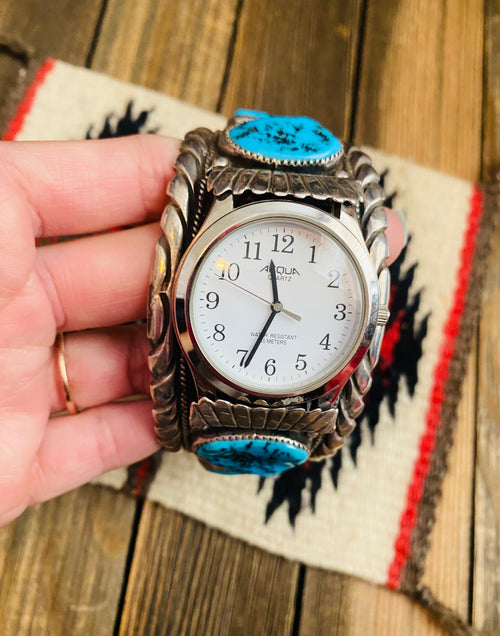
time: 11:33
